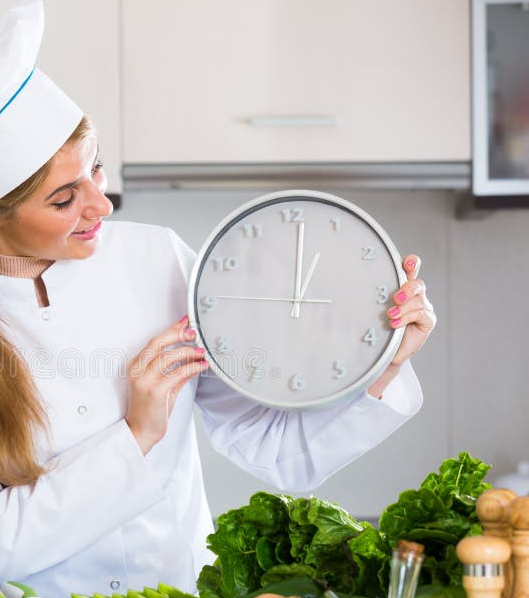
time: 1:01
